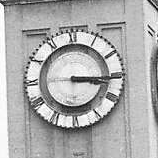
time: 3:15
